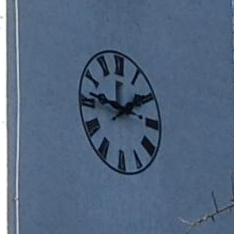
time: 1:46
